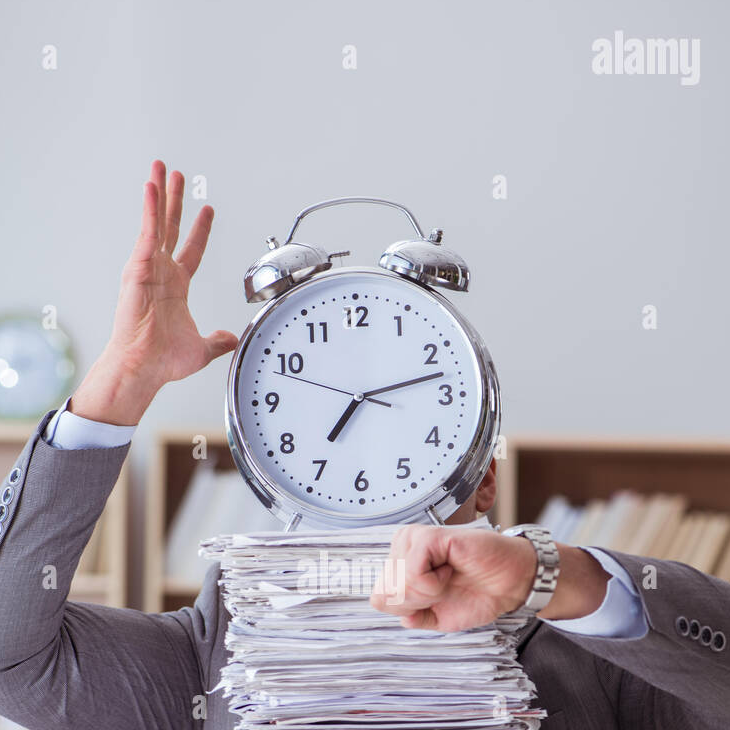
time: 7:12
